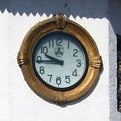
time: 9:44
